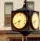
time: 6:41
